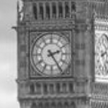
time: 2:24
